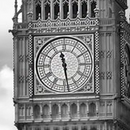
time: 11:28
